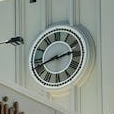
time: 2:42
